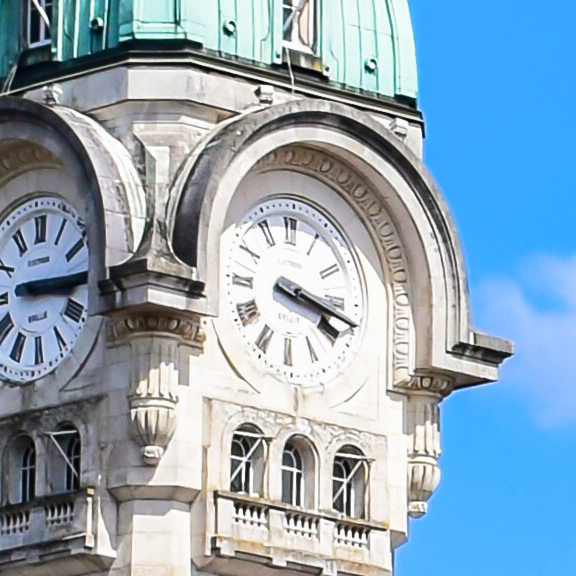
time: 3:17
